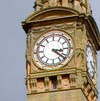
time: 3:21
